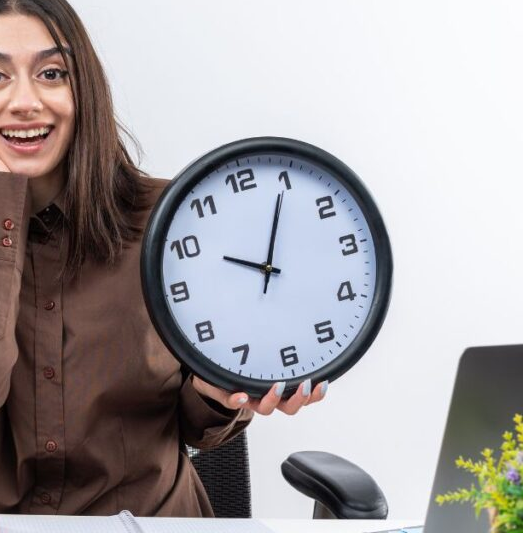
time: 10:04
